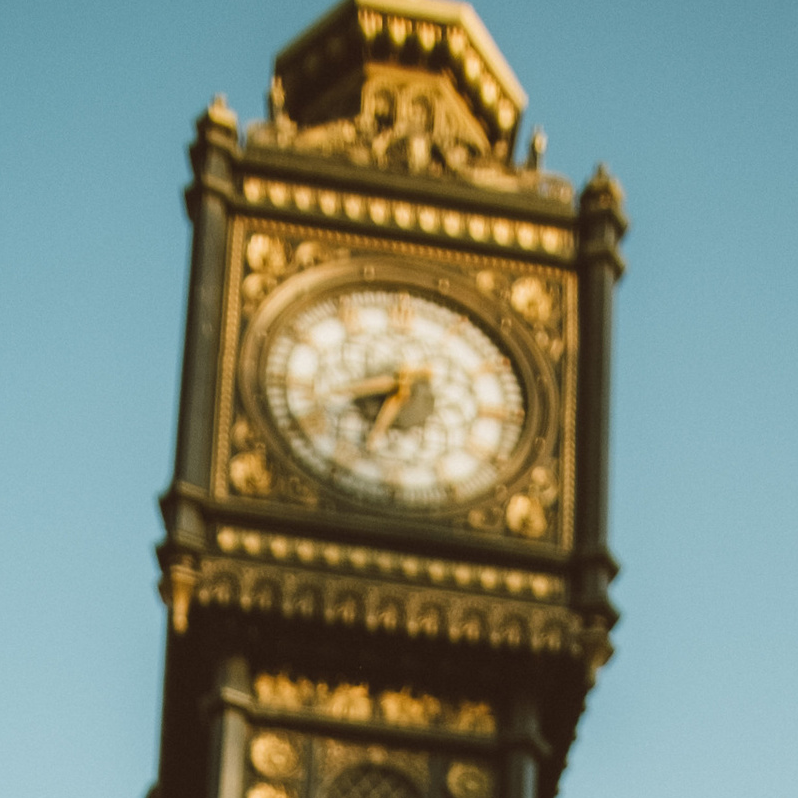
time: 7:33
